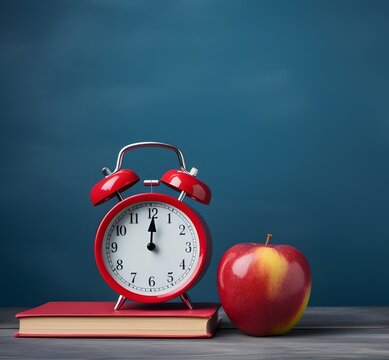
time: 12:00
